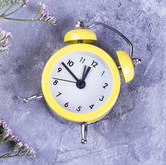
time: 12:52
